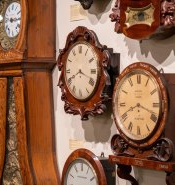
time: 8:18
